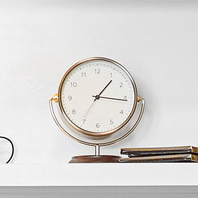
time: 1:15
